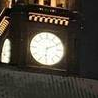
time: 6:10
